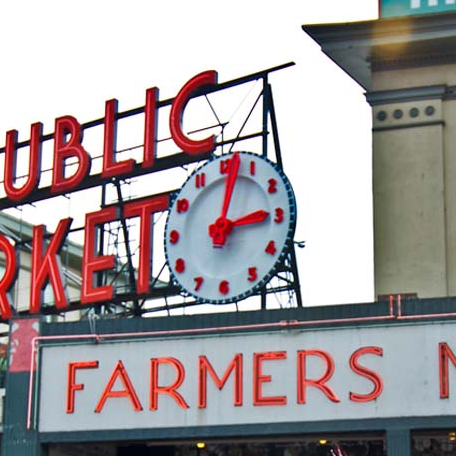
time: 3:02
